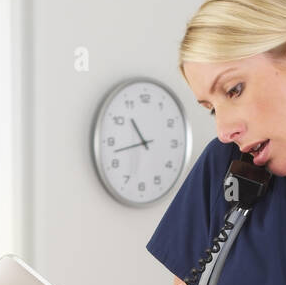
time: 10:42
